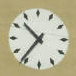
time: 10:36
